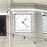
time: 1:22
